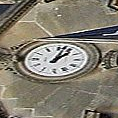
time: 1:02
